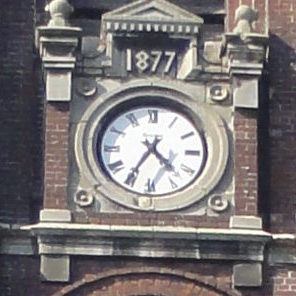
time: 4:35
